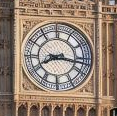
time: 8:16
